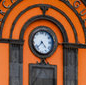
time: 4:37
